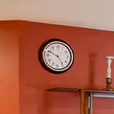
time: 4:49
